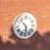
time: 5:53
